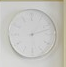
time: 1:12
